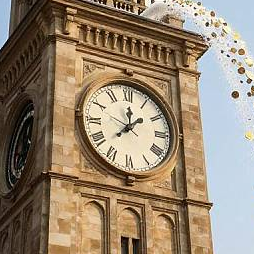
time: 12:07
